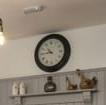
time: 10:45
